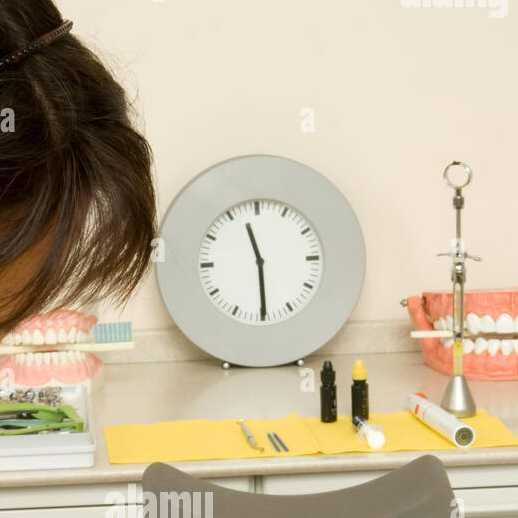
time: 11:29
